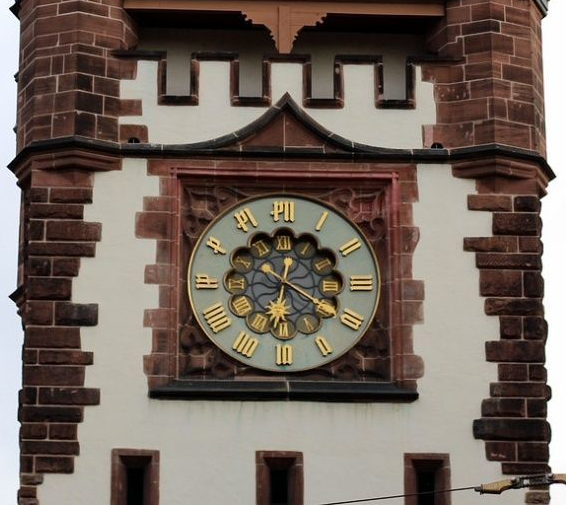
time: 6:20
